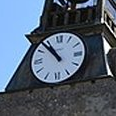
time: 10:53
